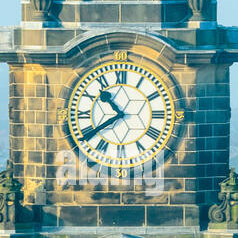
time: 10:39
